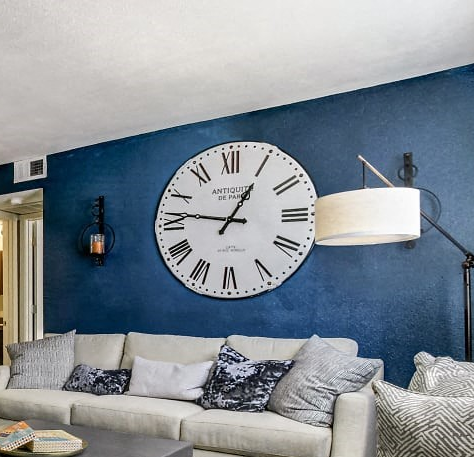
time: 12:46
